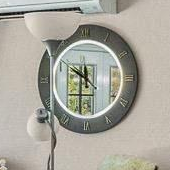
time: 11:50
